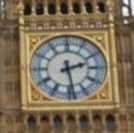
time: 2:28
